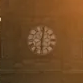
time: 6:01
